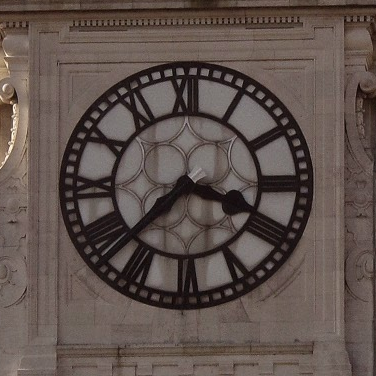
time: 3:37
